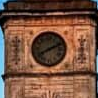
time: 8:11
